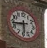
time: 5:43
